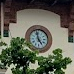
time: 4:57
